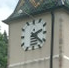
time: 2:21
